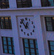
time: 12:52
